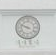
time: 9:48
